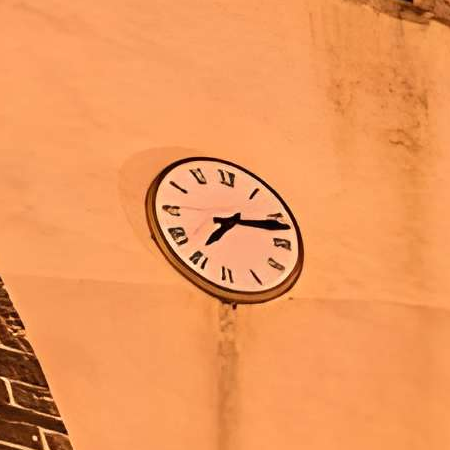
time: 7:12
